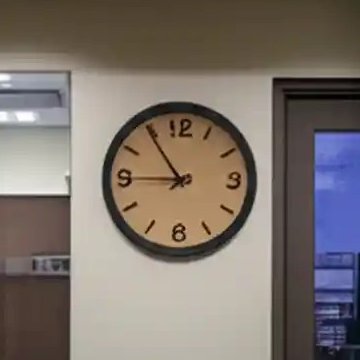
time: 8:54
